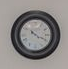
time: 10:19
